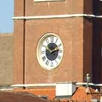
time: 2:12
